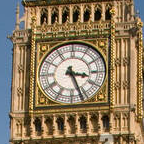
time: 3:26
